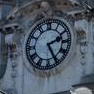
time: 2:25
